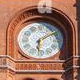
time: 6:09
